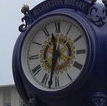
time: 11:32
